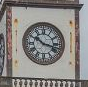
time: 10:17
